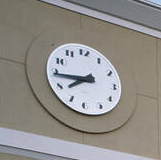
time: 7:43
